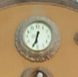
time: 6:34
